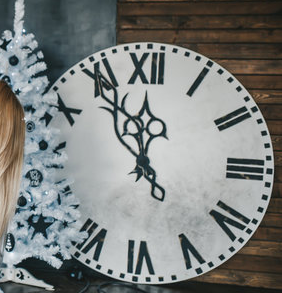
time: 11:54
